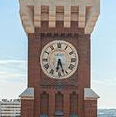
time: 6:27
